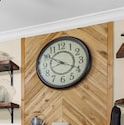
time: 8:19
